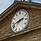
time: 2:42
